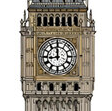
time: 8:59
